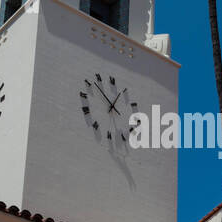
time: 12:52
